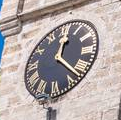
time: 12:22
